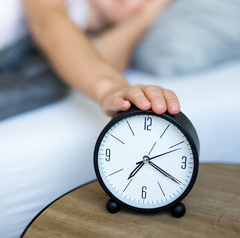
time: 7:20
